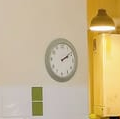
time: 2:09
